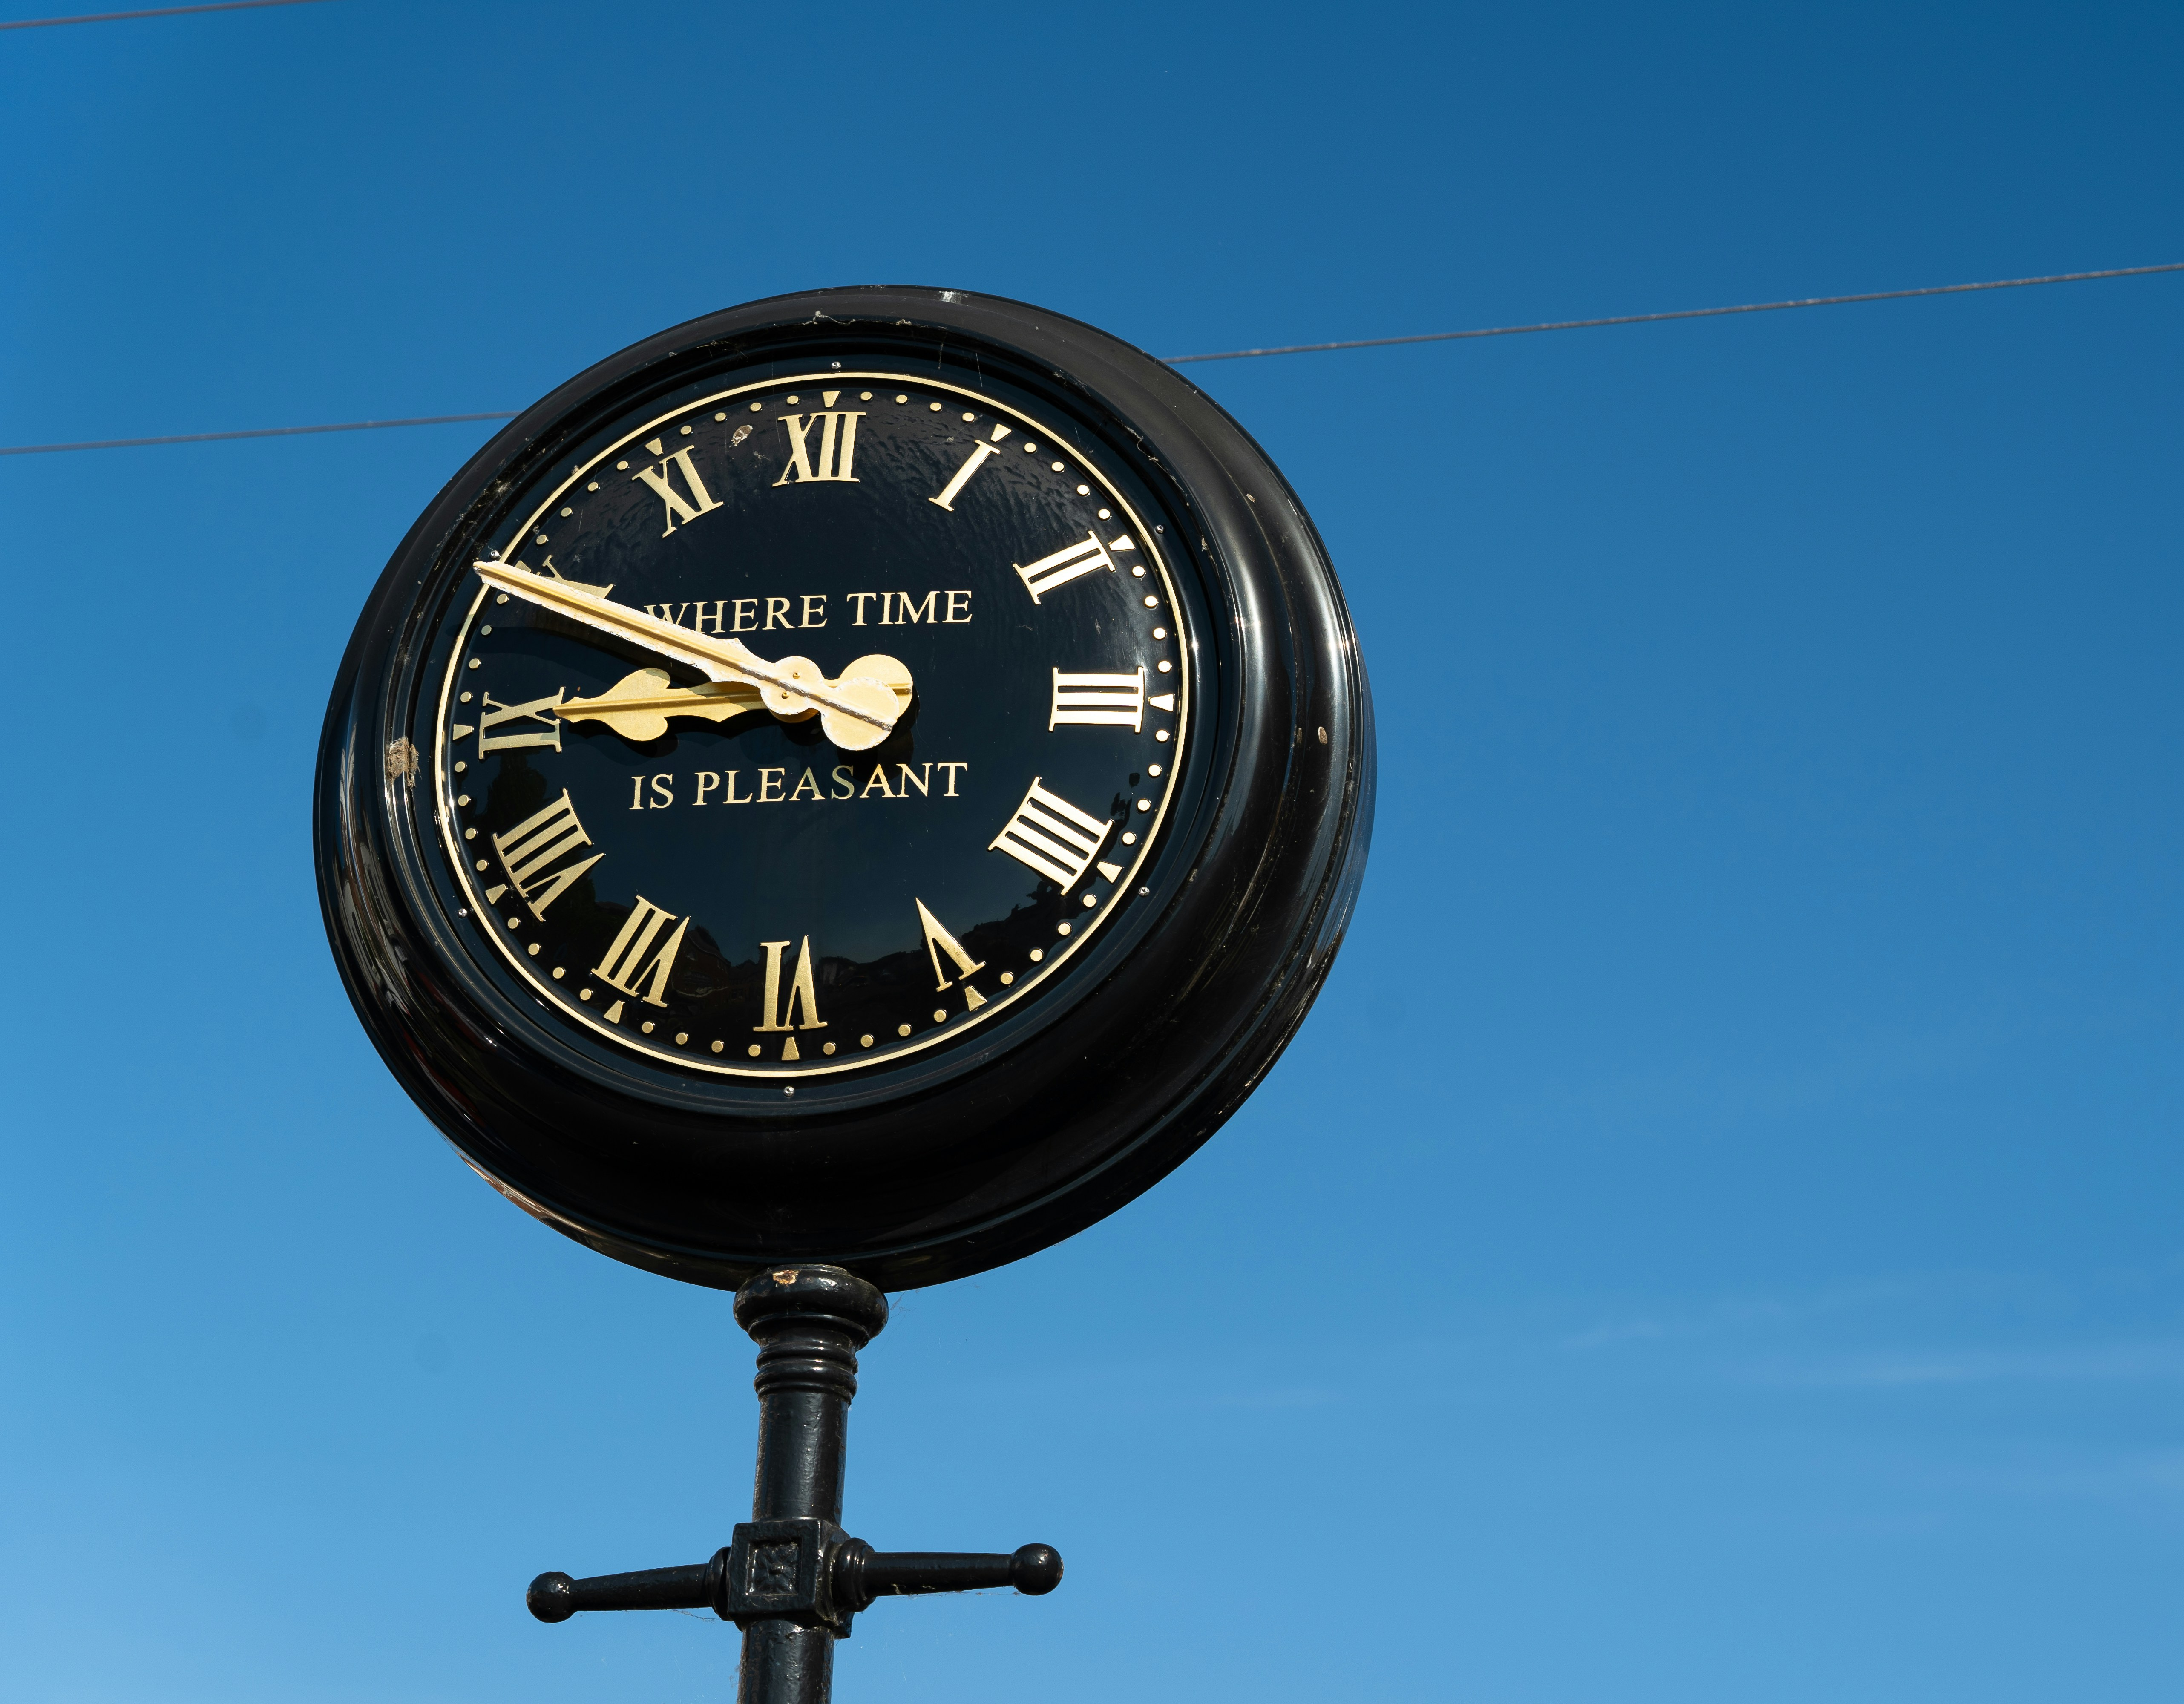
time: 8:49
